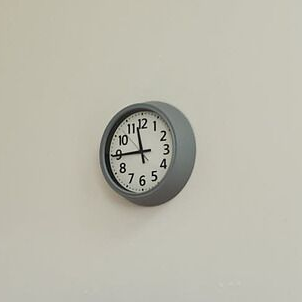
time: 11:44
